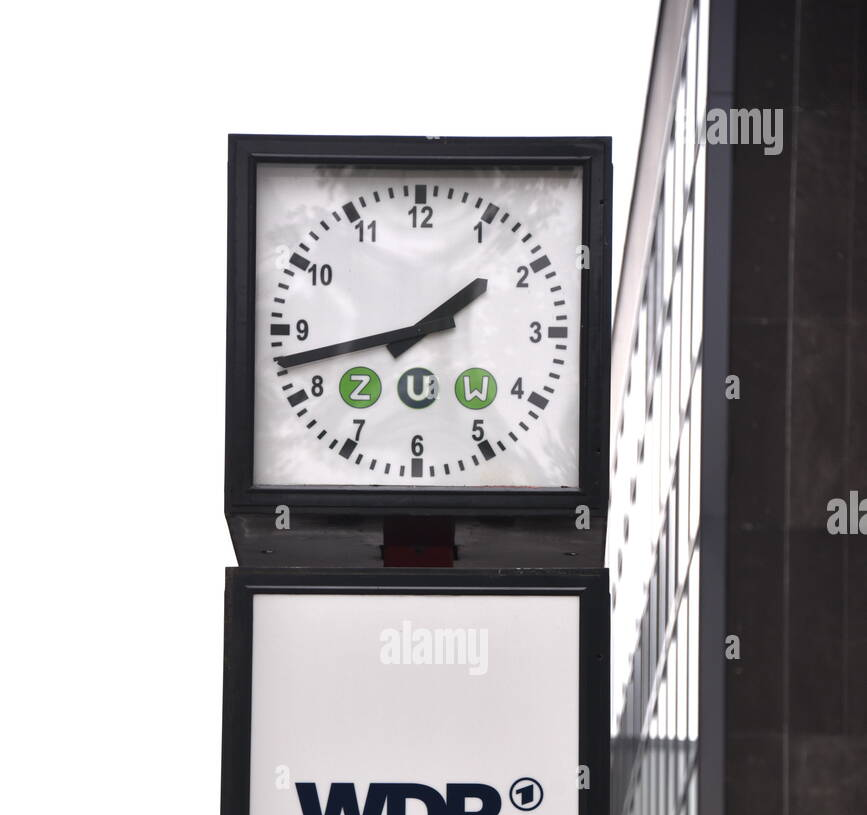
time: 1:42
